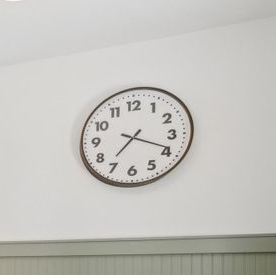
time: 7:18
